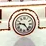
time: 9:23
